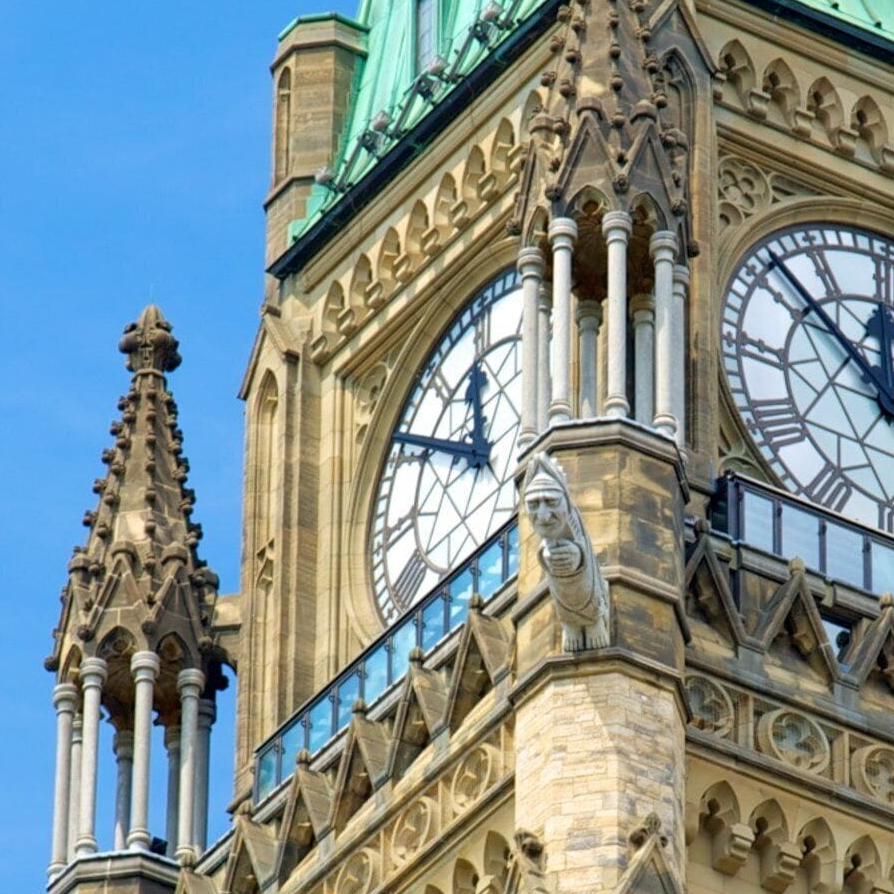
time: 11:50
